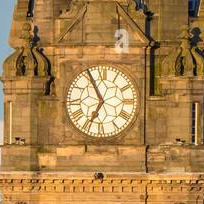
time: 6:55
